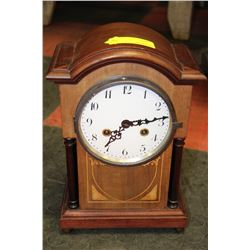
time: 7:13
